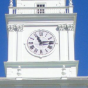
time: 11:13
